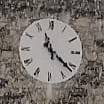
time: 11:21
